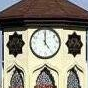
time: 5:00
